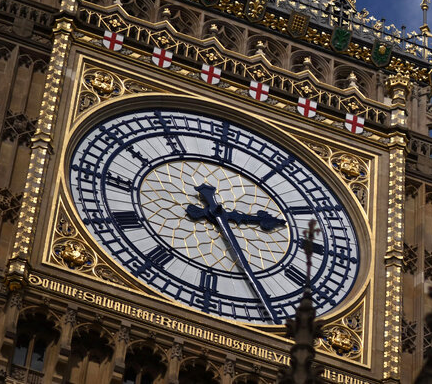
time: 2:25
